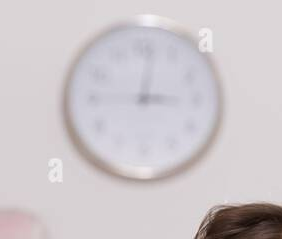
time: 3:01
